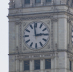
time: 2:58
